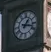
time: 1:17
